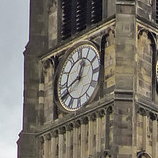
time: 12:41
